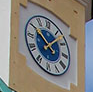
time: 10:07
